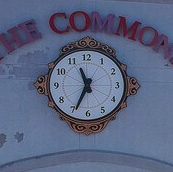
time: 11:34
